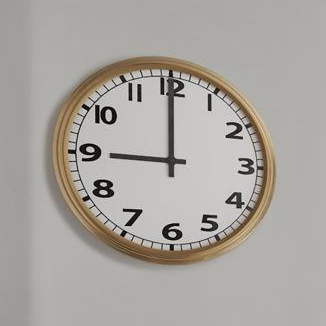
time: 8:59
